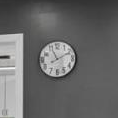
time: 11:10
